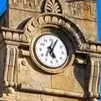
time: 5:04
